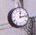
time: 12:12
